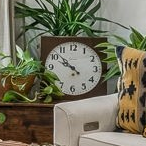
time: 9:52
